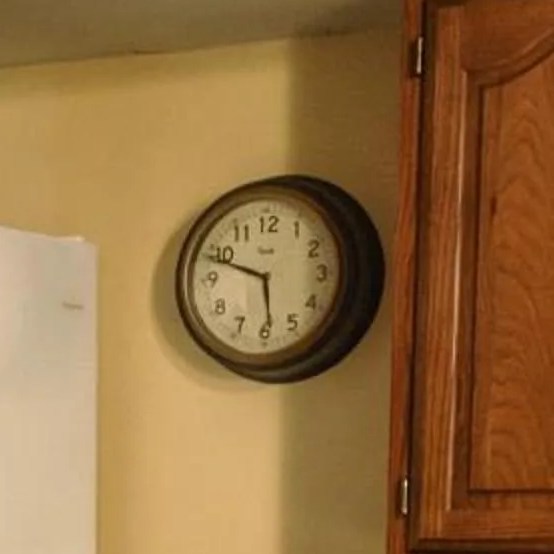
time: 5:48
